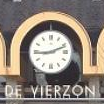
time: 9:11
